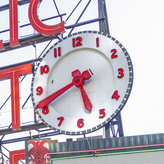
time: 5:40
